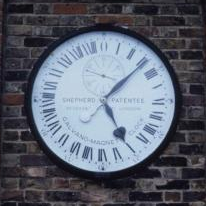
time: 5:07
